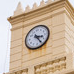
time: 3:24
